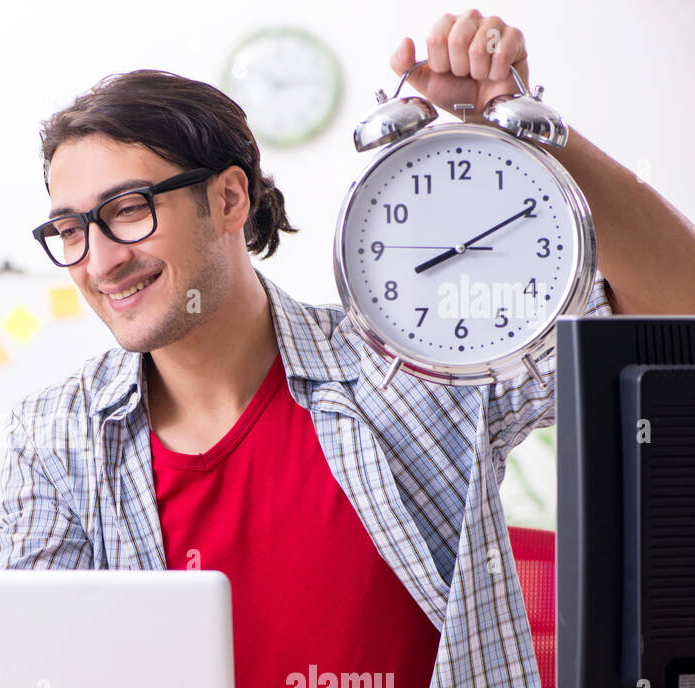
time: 8:10
